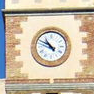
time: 10:49
